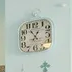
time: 12:53
